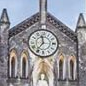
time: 11:35
